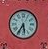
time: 5:35
